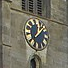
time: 12:07
